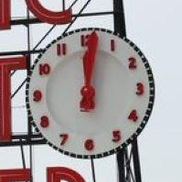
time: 12:01
